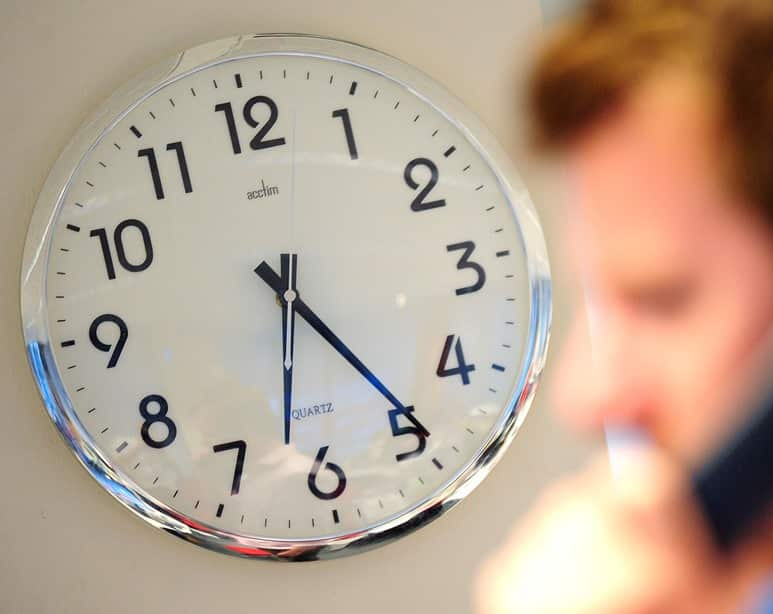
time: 6:24
